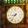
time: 8:36
